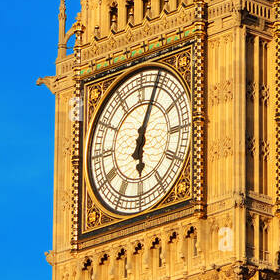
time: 6:03
